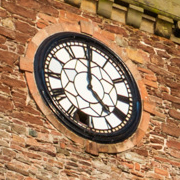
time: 4:00
